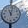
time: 11:02
